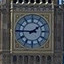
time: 1:45
